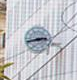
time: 2:42
